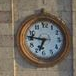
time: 6:46
